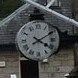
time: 4:09
